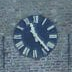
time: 11:23
